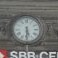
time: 5:30
